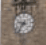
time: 9:36
